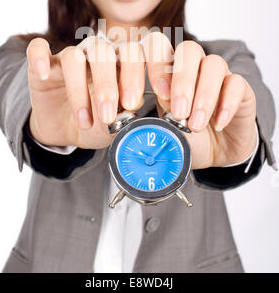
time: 10:07
